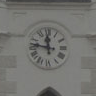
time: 11:46
